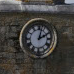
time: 2:02
